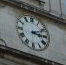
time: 3:11
